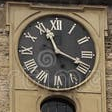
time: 11:18
